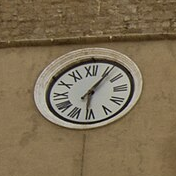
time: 6:06
